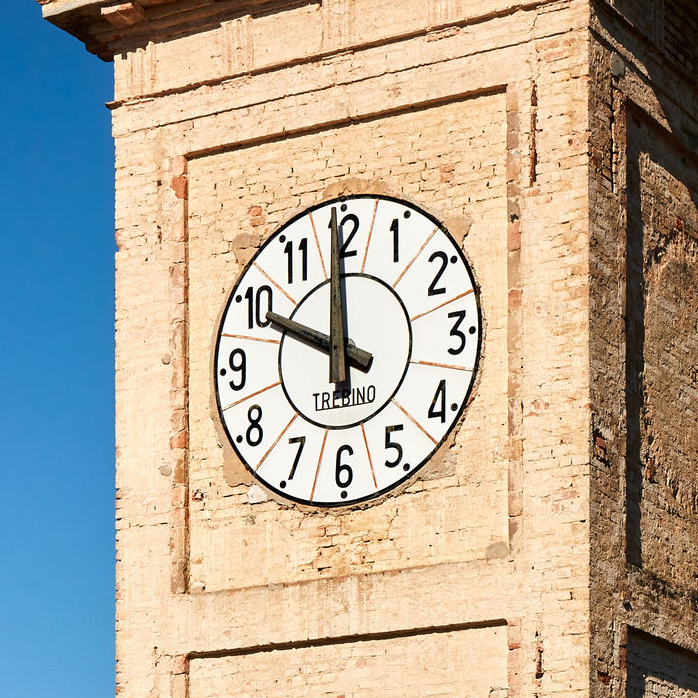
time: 9:59
